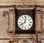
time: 8:01
